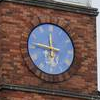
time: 11:46
